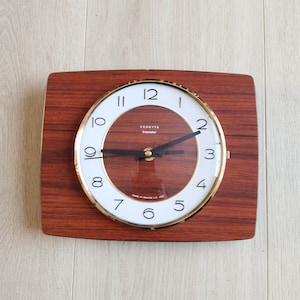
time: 9:10
